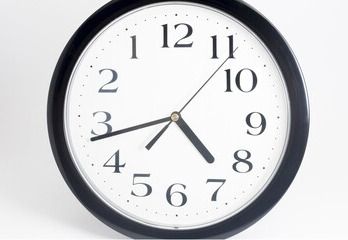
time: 4:43
